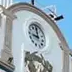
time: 8:59
